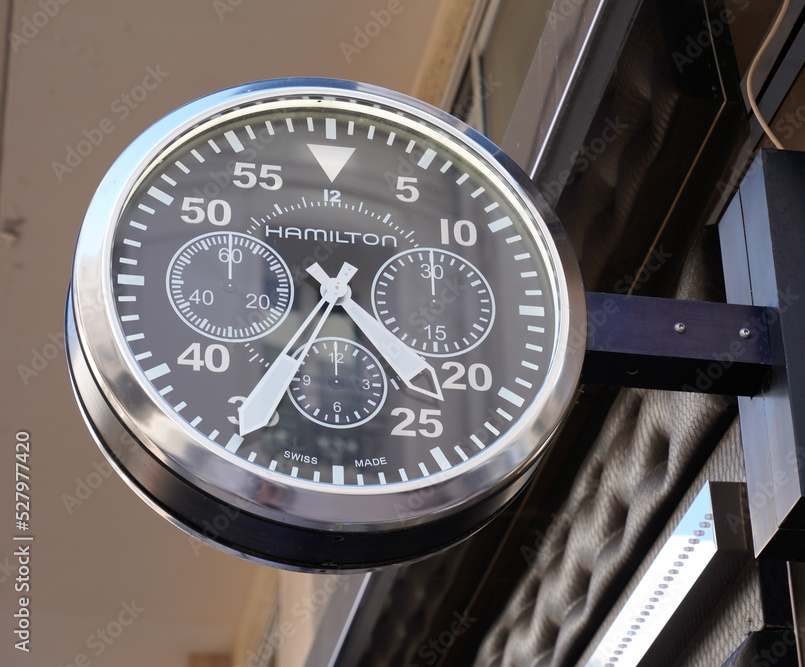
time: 4:35
